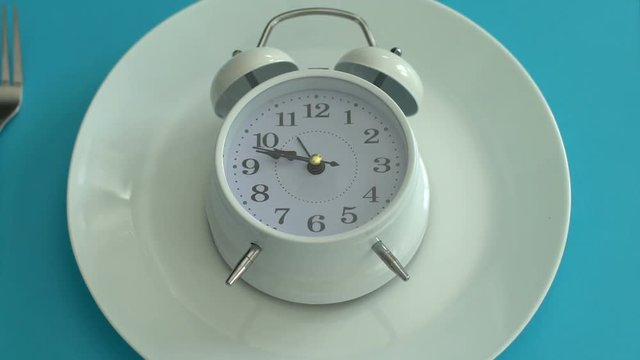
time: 9:47
